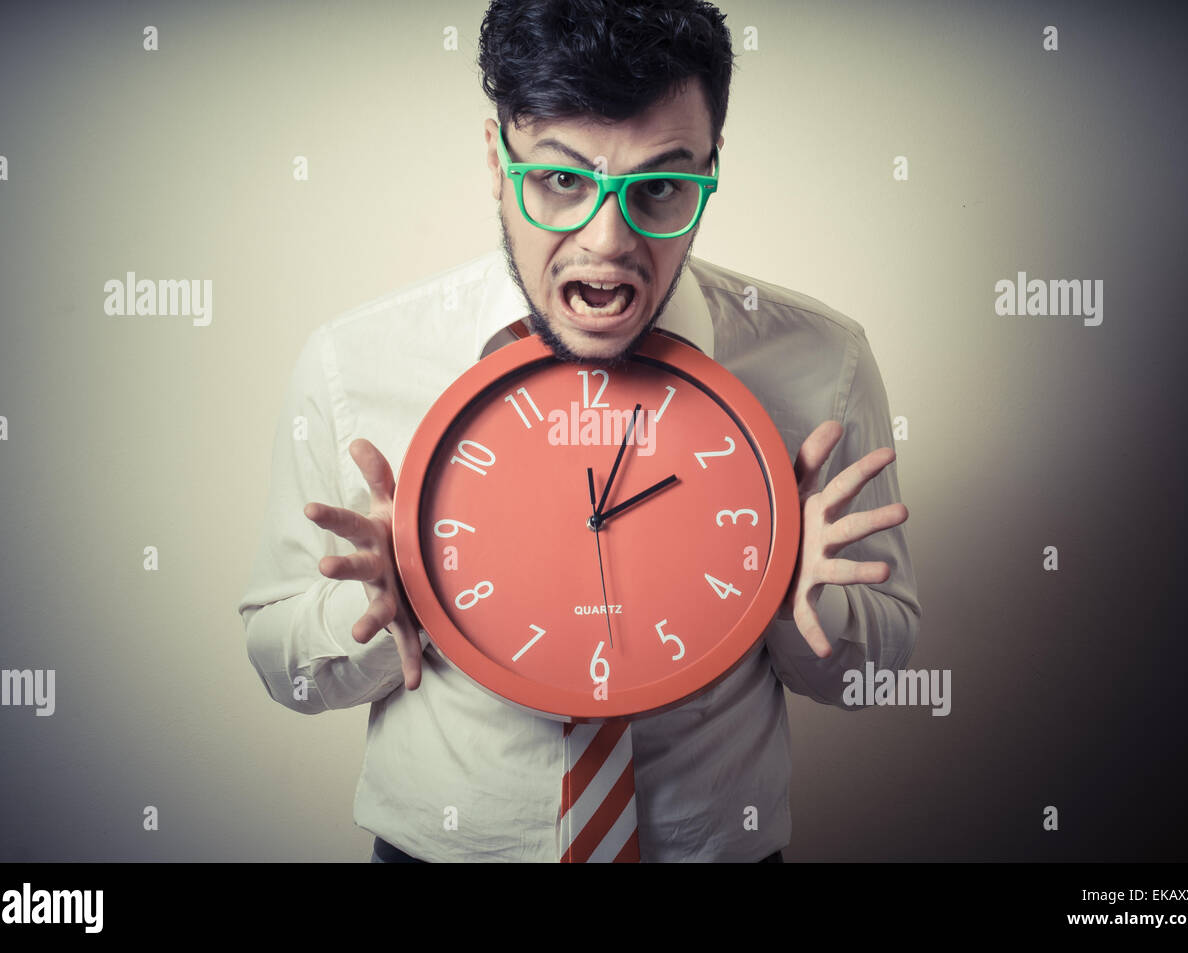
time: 2:03
